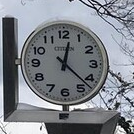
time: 12:22
